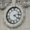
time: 4:13
